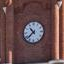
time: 10:38
